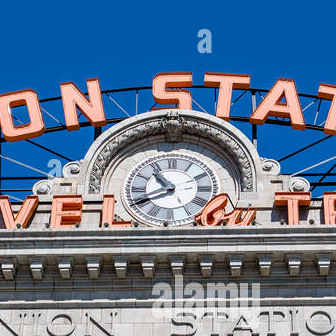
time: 10:40
